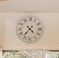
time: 4:36
